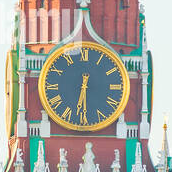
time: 6:30
